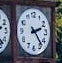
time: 2:23
